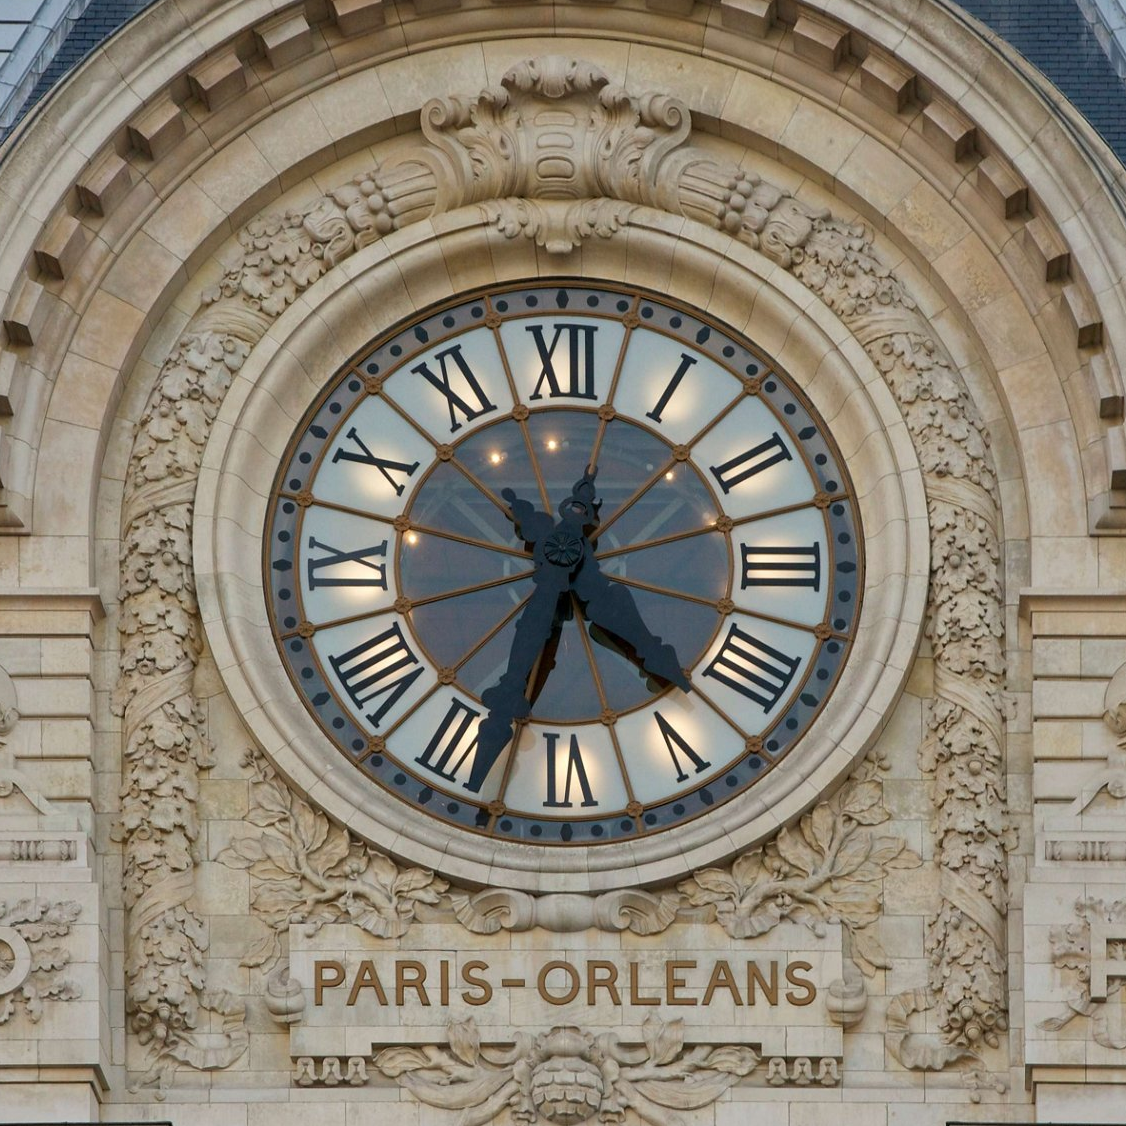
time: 4:33
